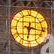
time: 6:16
